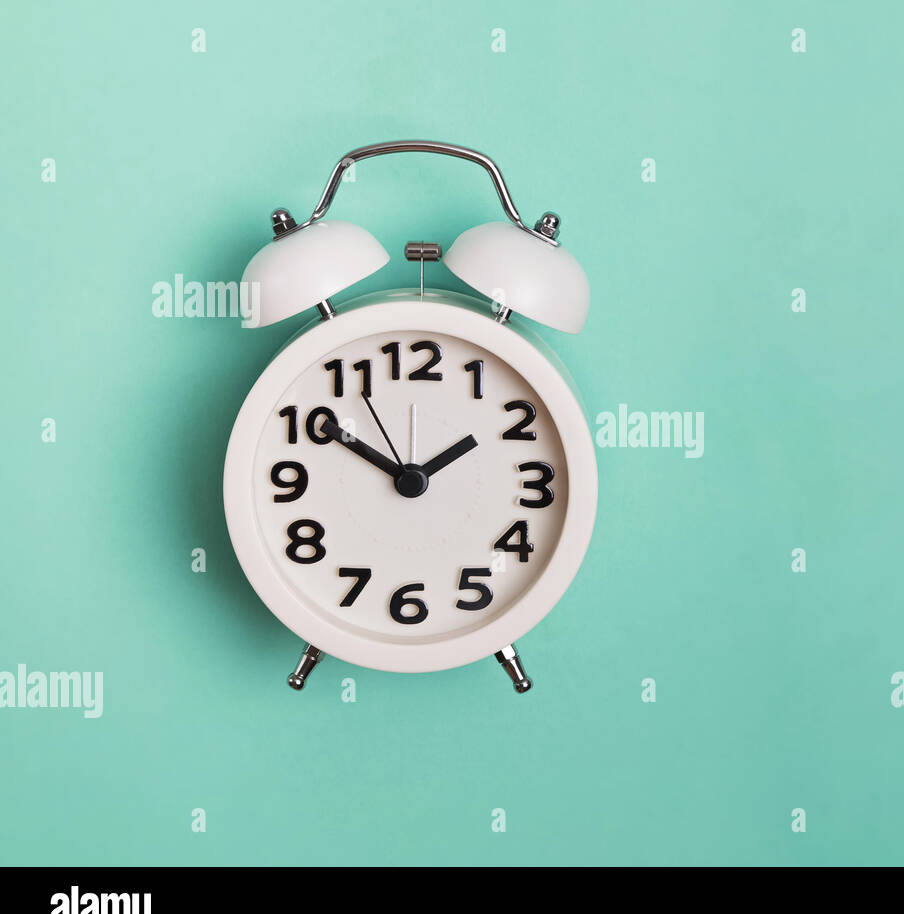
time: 1:50
